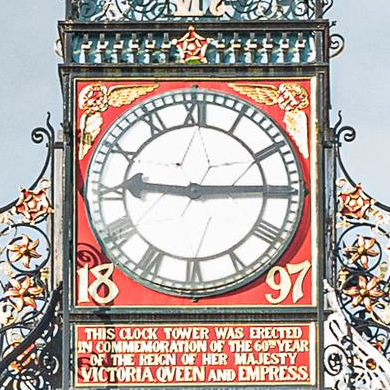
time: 9:14
